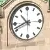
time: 10:41
